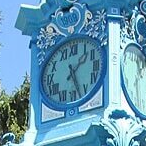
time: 1:26
